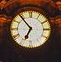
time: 6:53
